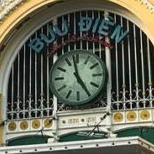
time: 4:58
